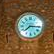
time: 7:15
